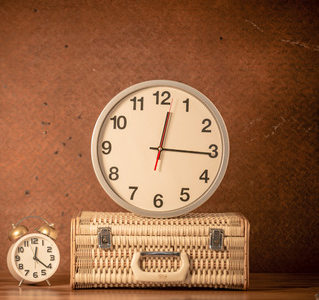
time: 12:15
